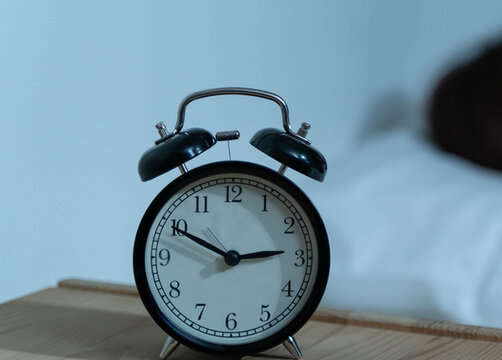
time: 2:49
